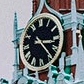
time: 3:23
